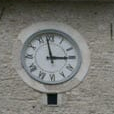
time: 2:58
